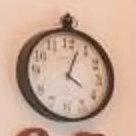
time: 4:03
